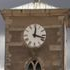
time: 12:17
